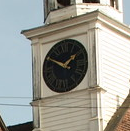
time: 1:50
